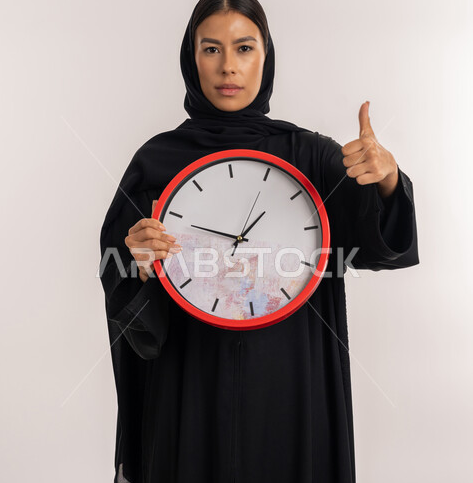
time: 1:49
